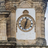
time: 12:32
